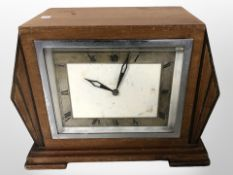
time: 10:02
